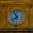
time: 7:55
